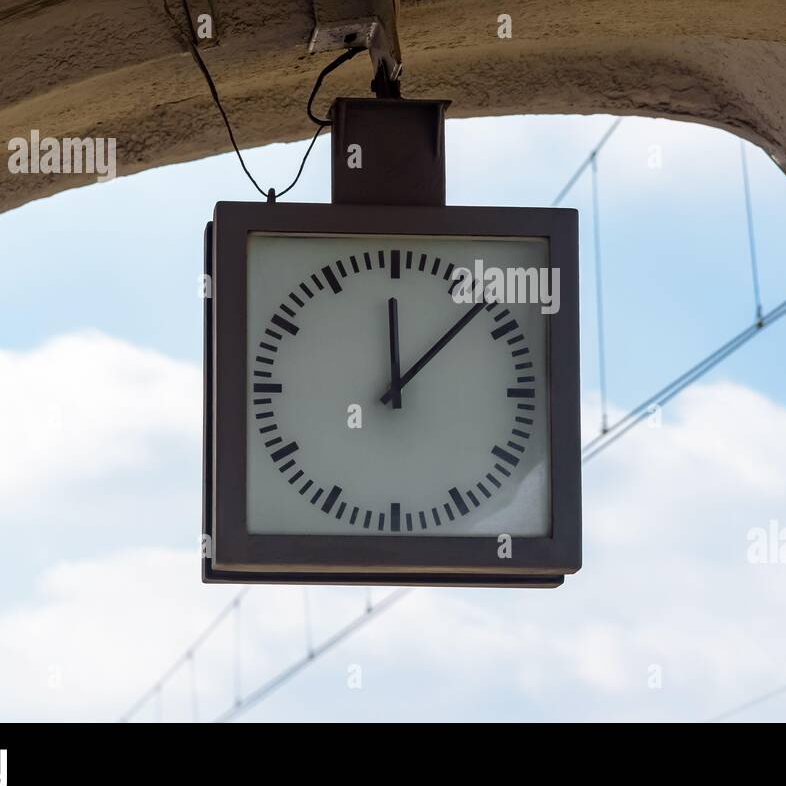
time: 12:07
